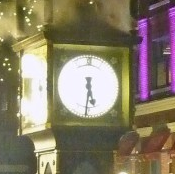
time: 5:31
